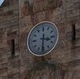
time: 3:31
